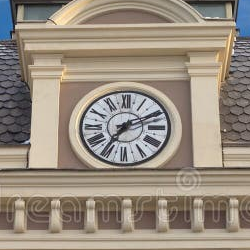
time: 7:10
